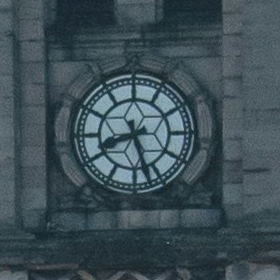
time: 8:27
